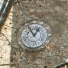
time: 12:55
